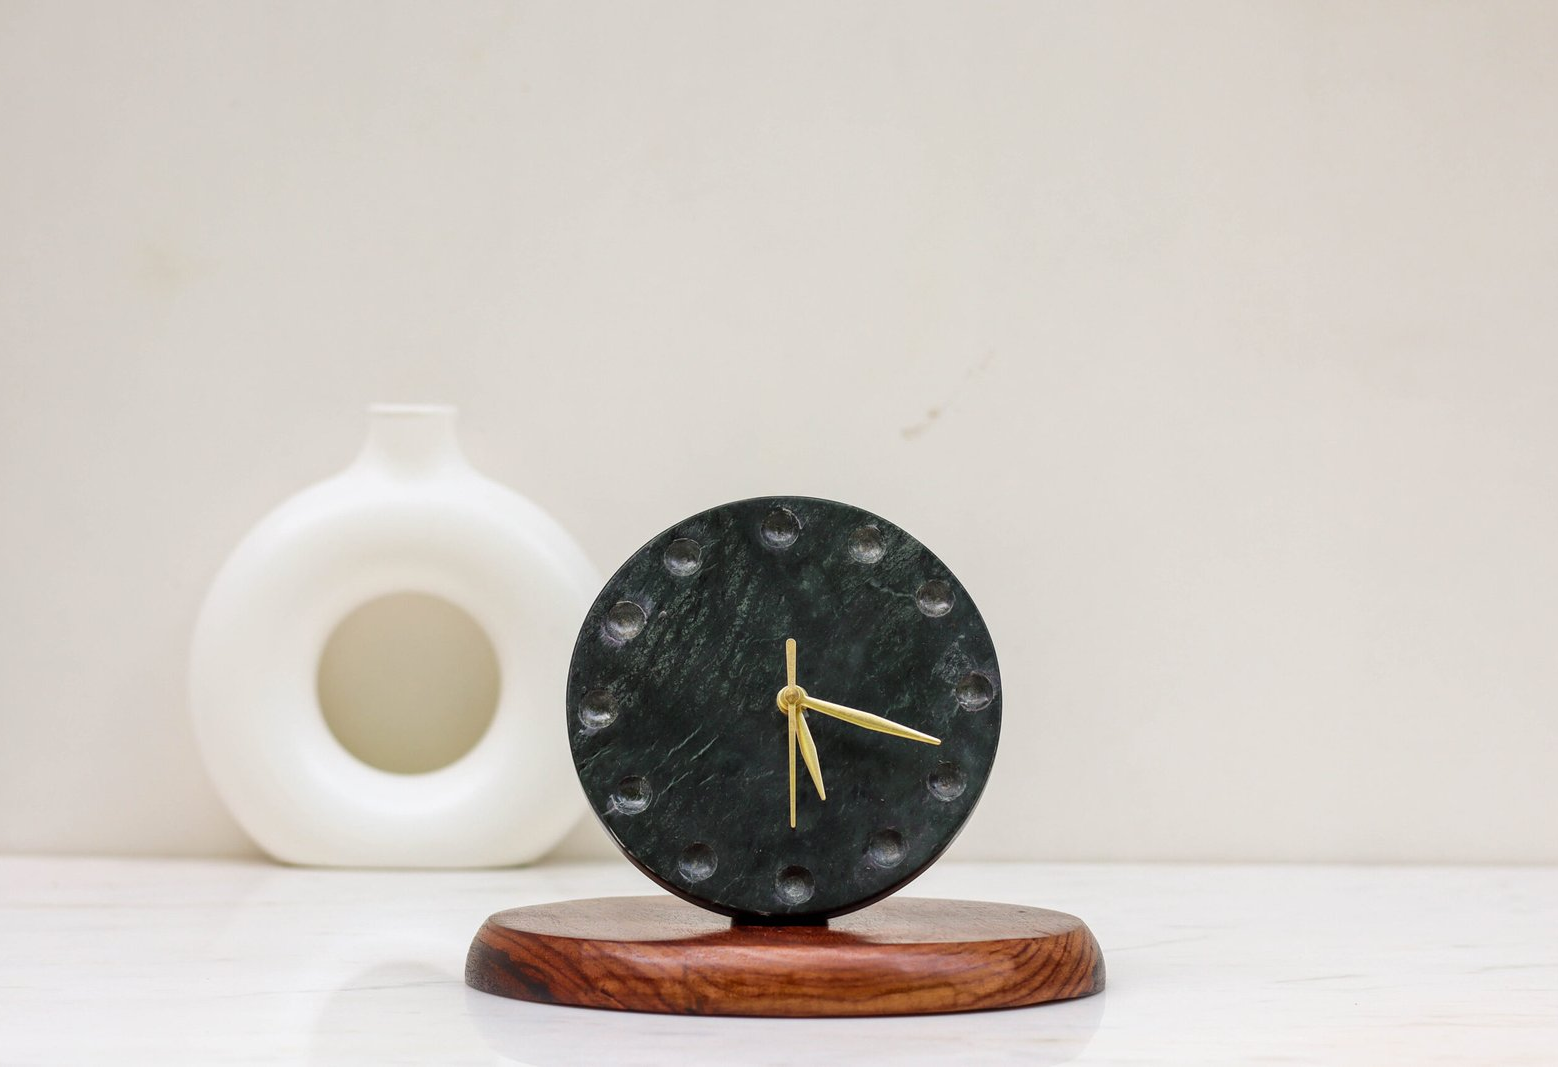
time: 5:18
